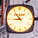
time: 8:53
